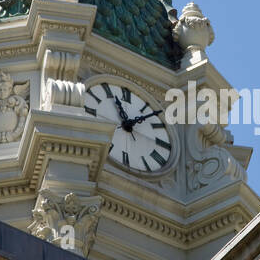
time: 11:07
